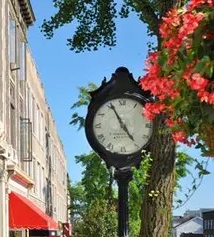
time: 4:55
